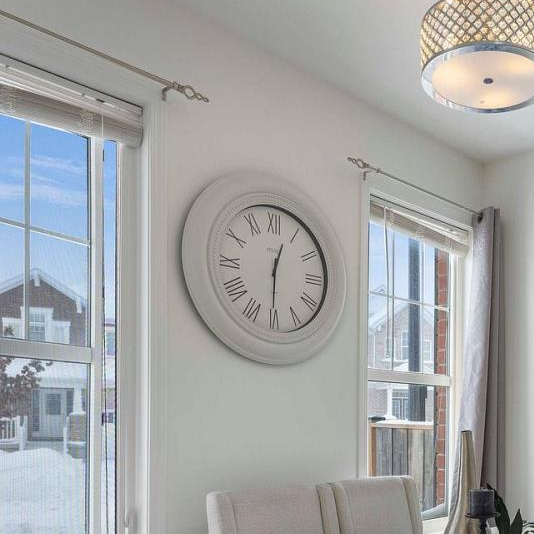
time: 12:30
